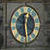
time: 12:28
